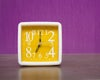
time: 7:01
